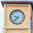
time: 9:36
